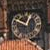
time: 12:49
